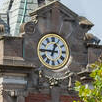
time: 12:45
